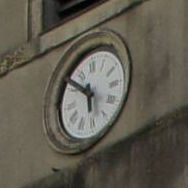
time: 5:51
